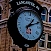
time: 1:11
